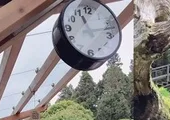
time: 11:12
